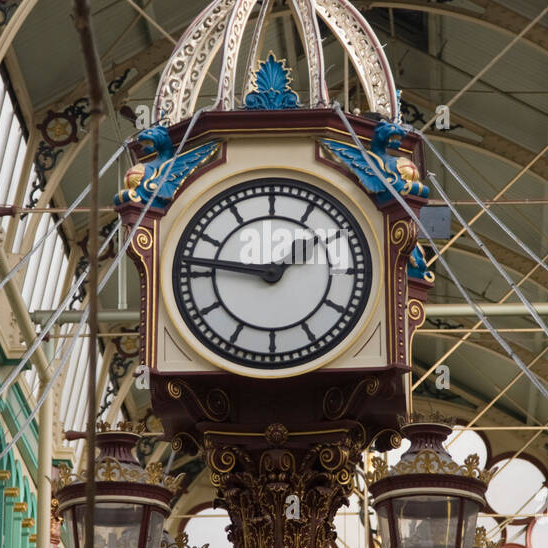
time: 1:46
